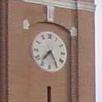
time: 7:24
